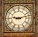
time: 9:12
